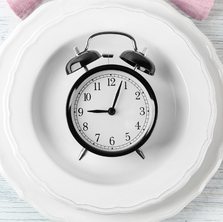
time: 9:03
